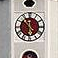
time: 5:51
